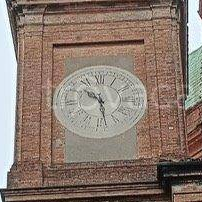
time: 10:28
